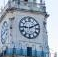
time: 9:10
